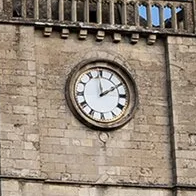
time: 1:59
